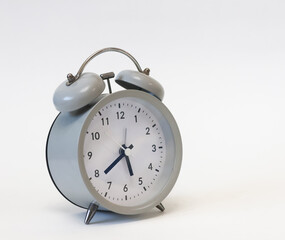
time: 5:38
